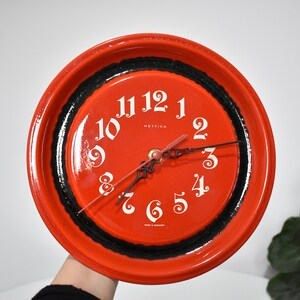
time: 7:13
